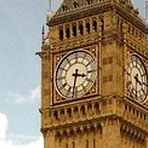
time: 3:32
